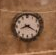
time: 8:20
